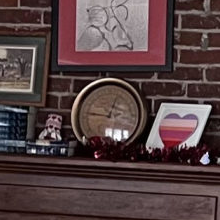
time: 12:46
